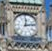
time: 12:13
